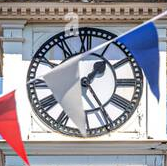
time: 1:24
